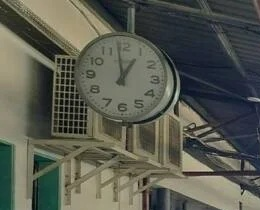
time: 12:58
